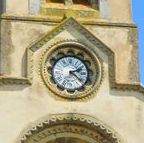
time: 2:22
